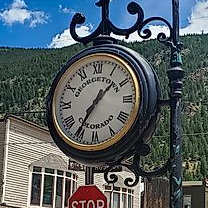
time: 1:35
